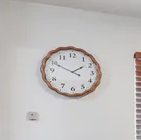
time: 1:49
